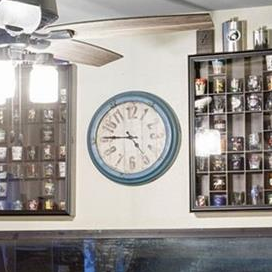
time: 4:45
